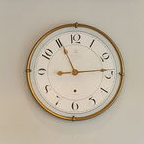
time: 8:55
